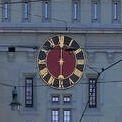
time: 6:00
